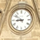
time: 8:51
